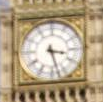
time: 3:27
